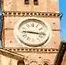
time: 9:16
